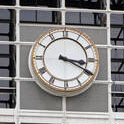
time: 3:19
